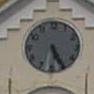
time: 5:25
